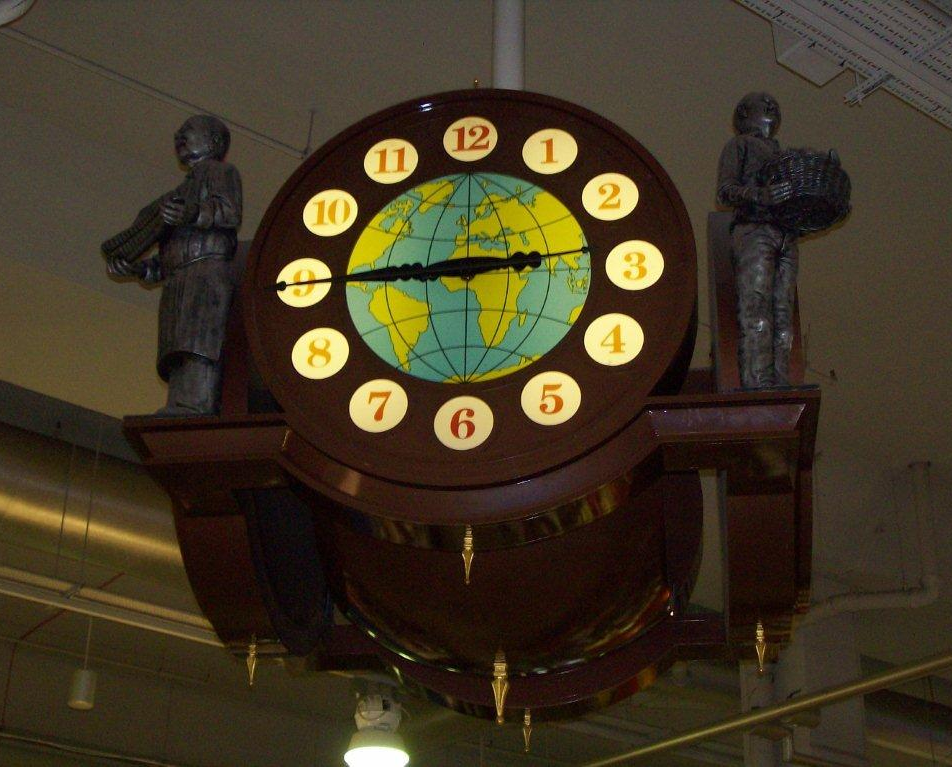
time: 2:45
